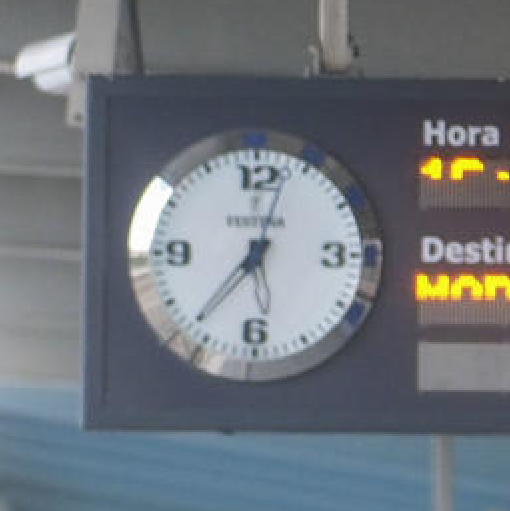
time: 12:36
